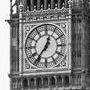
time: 12:36
